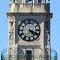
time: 4:18
